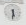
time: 5:31
